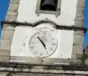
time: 4:52
